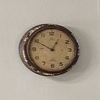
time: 12:49
